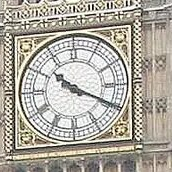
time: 10:19
